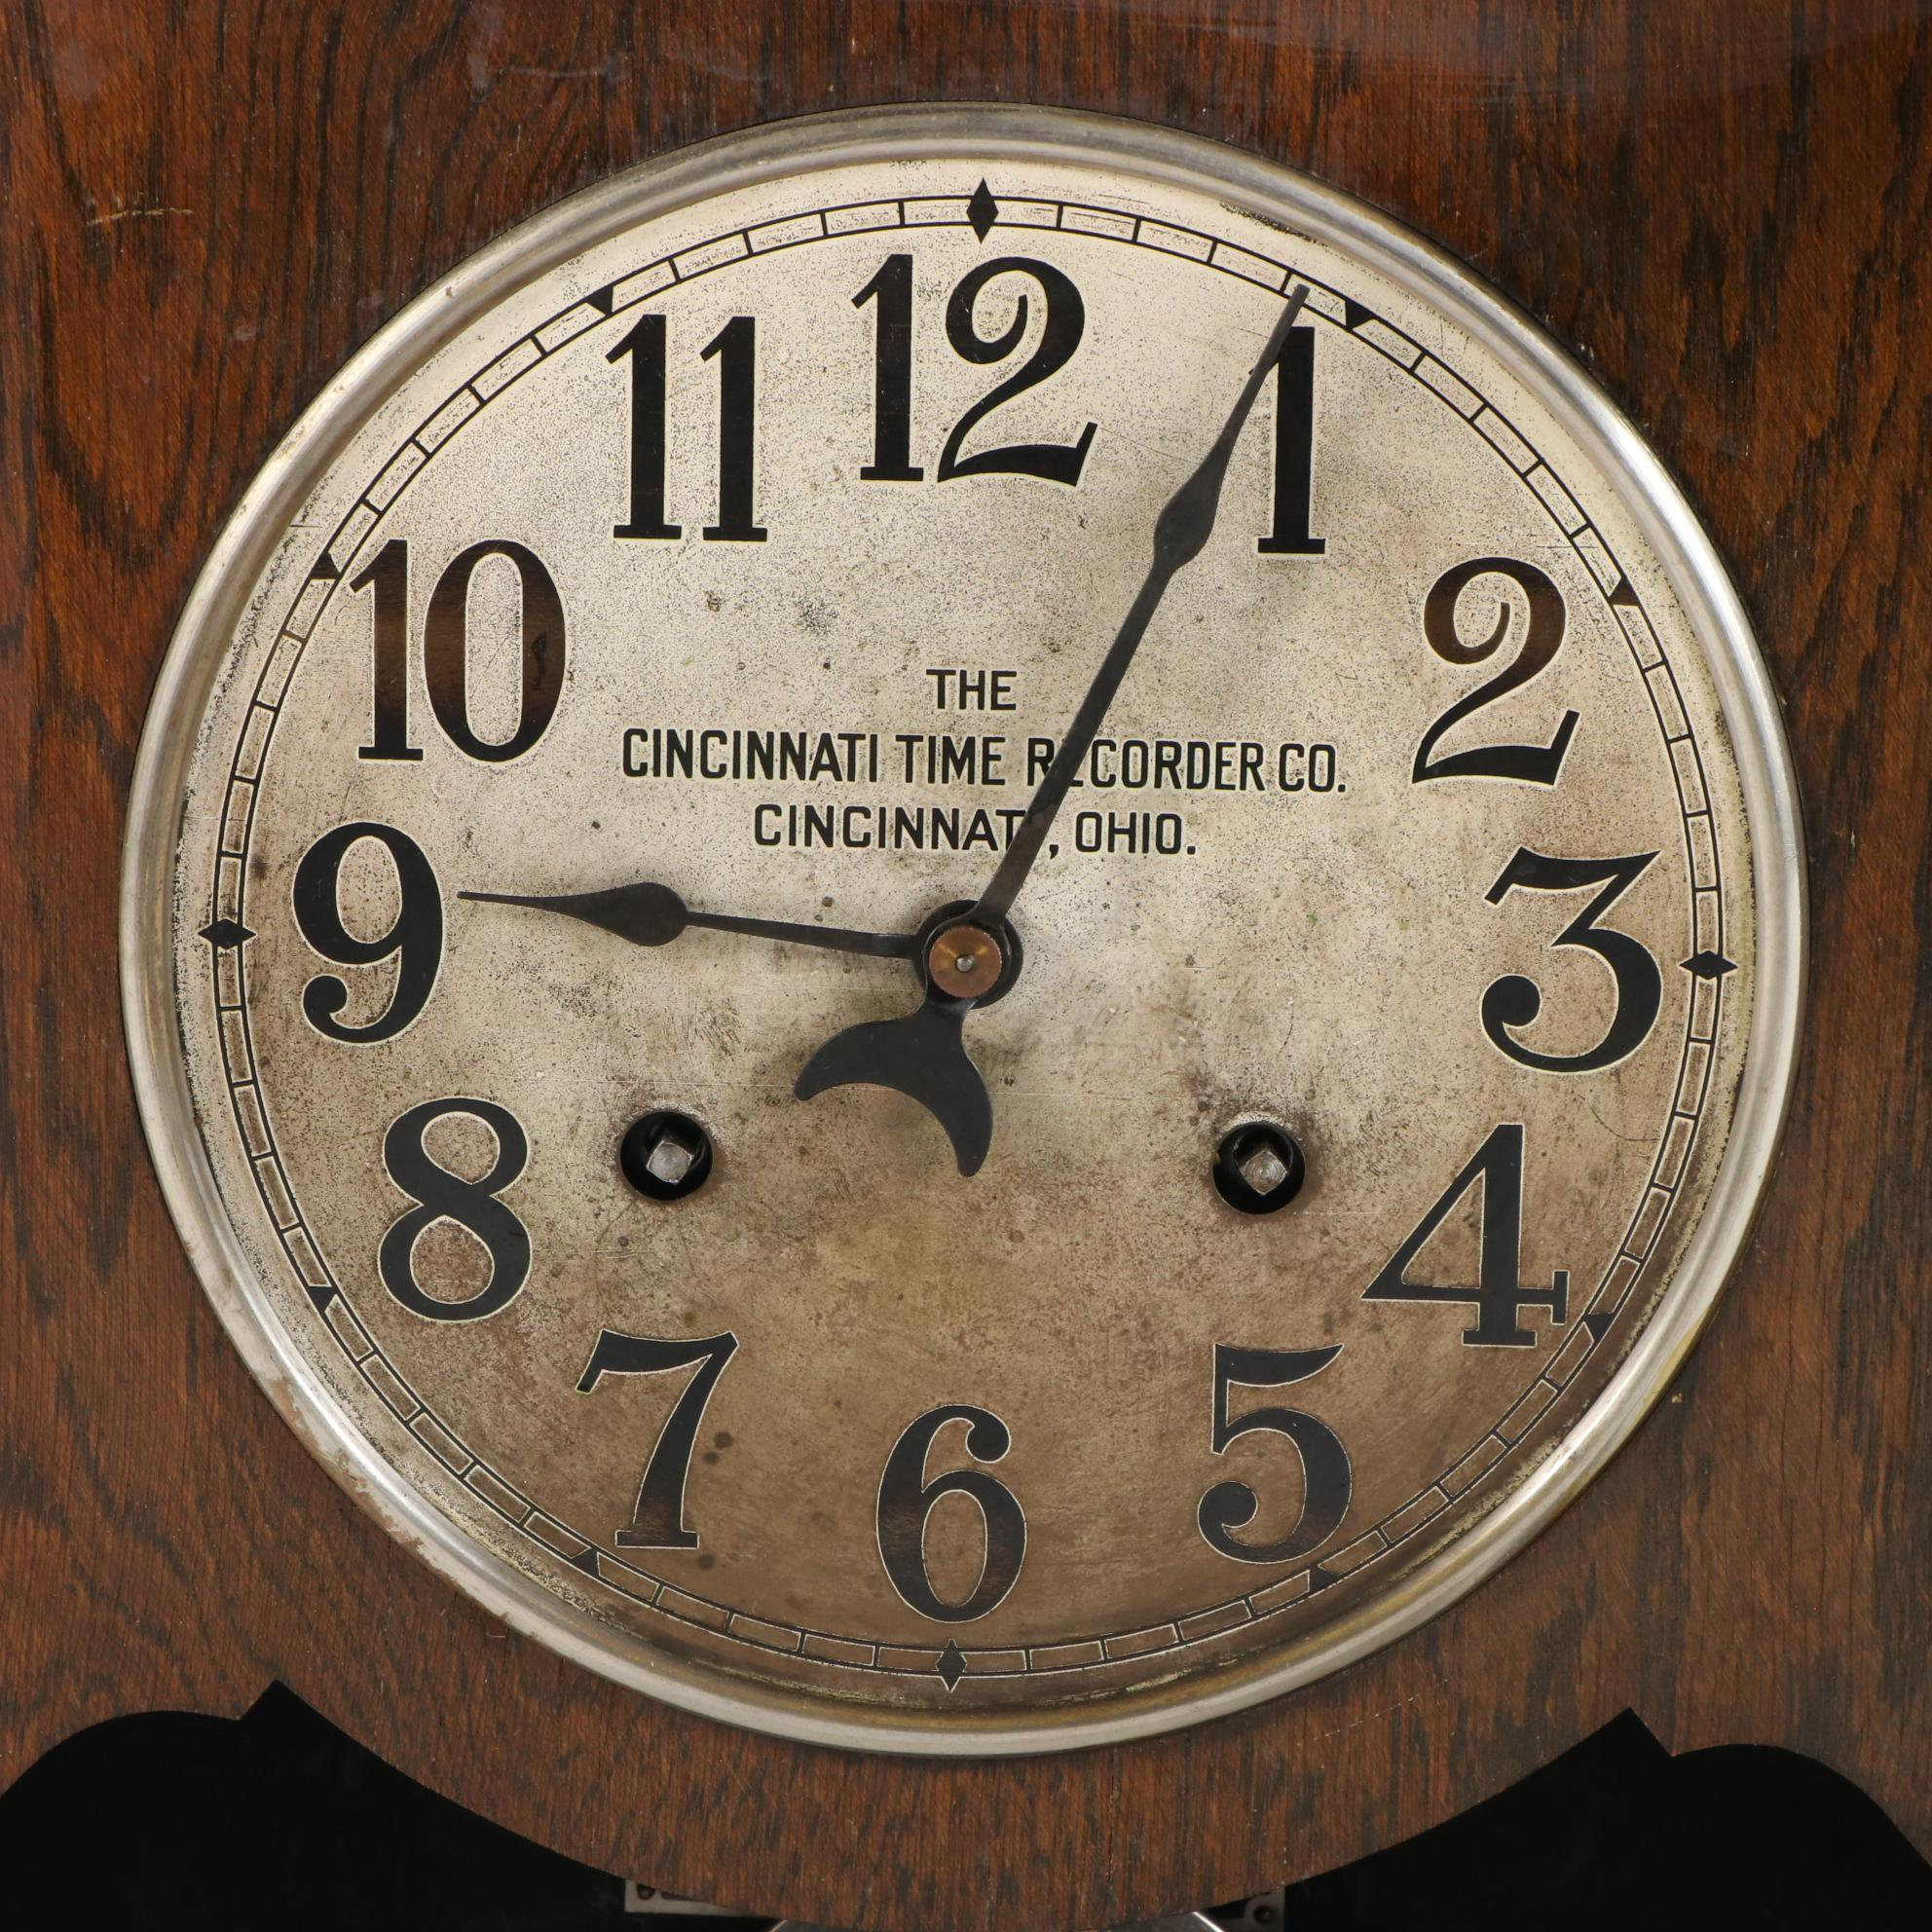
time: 9:04
